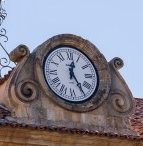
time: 12:24
